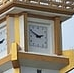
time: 2:49
